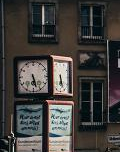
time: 5:26
